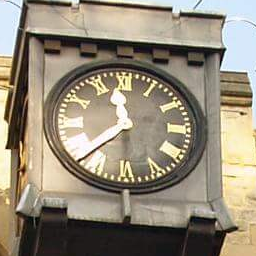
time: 11:38
